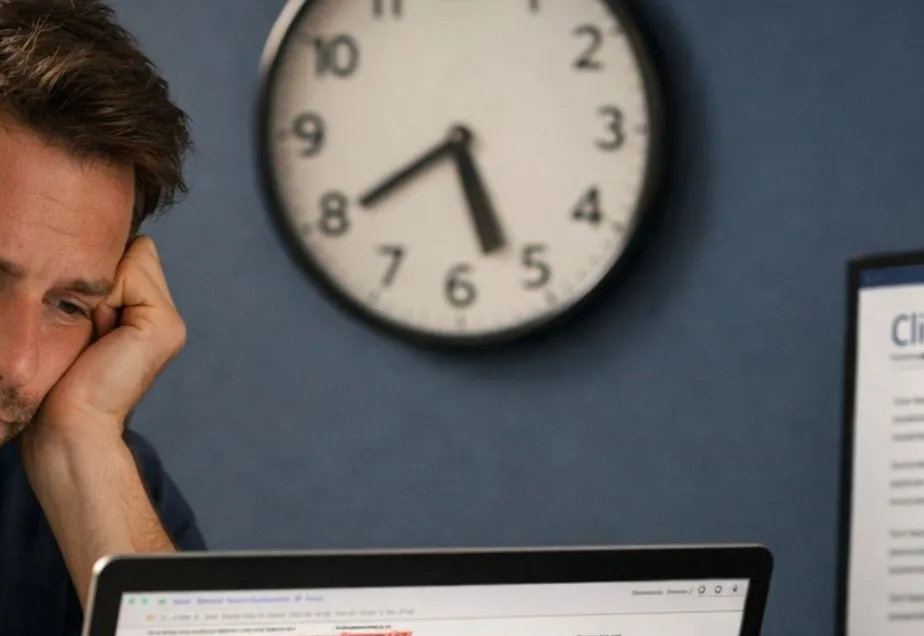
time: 5:39
